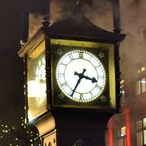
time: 3:34
